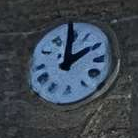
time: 2:00
